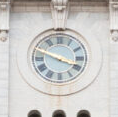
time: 3:48
